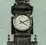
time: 4:10
